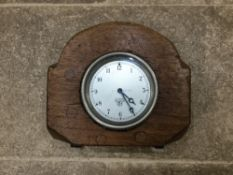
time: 4:24
